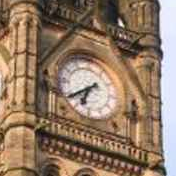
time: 6:39
